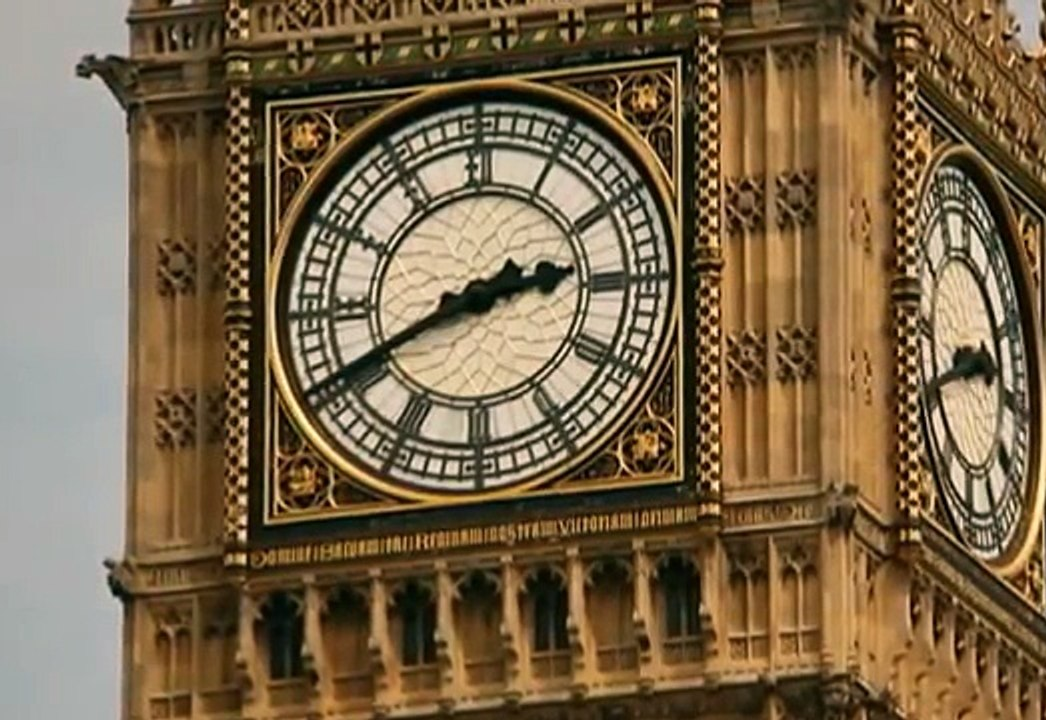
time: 2:40
